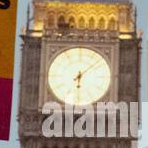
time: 6:07
